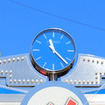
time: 11:22
